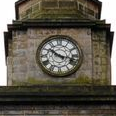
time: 10:17
